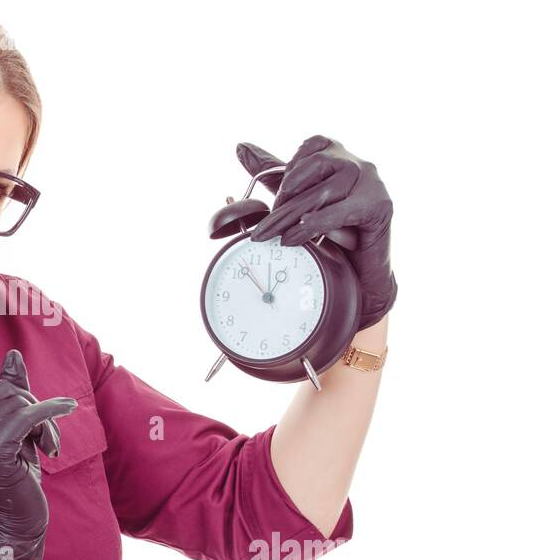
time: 12:52
